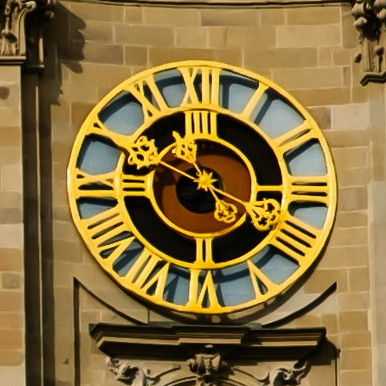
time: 10:49
